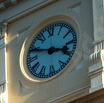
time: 3:48
